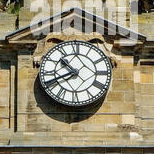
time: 10:40
